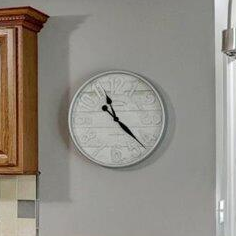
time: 11:22
